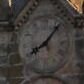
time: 8:07
